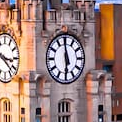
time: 5:59
